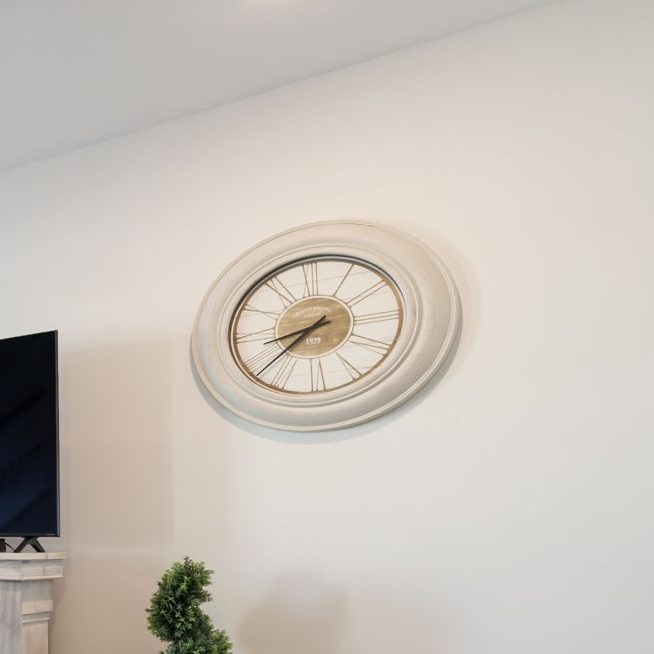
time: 8:38
